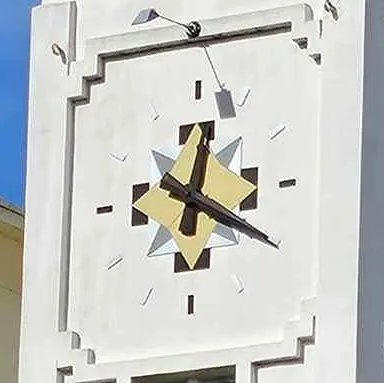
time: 12:19
